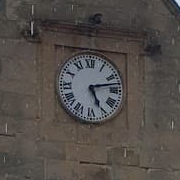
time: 5:12
